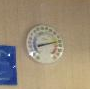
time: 8:12
